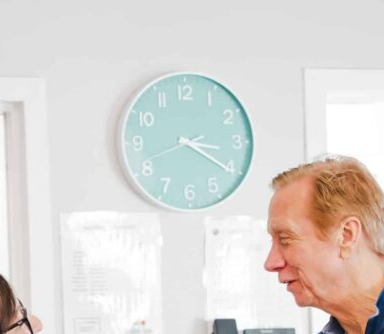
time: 3:20
